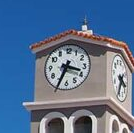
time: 3:34
